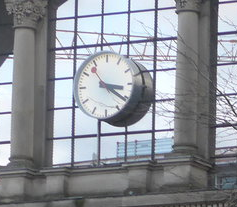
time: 3:21
